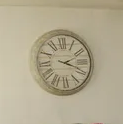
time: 2:18
